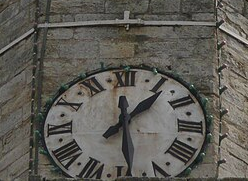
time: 1:28
